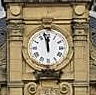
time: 11:57
